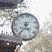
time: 4:36
